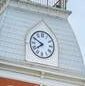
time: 7:49
